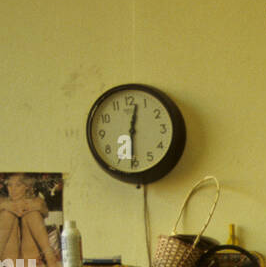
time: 12:30
